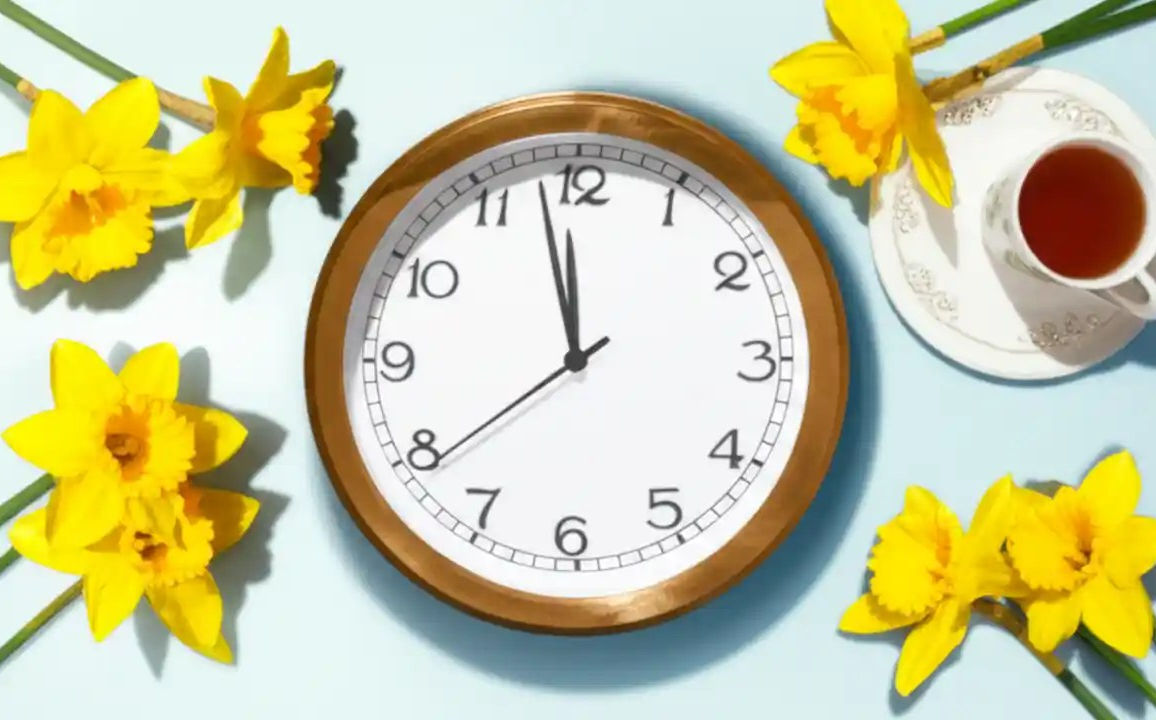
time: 11:57
